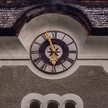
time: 6:56
